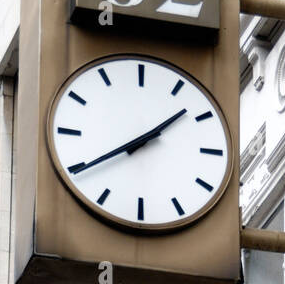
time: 1:39
